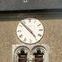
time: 4:52
